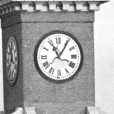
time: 11:05
